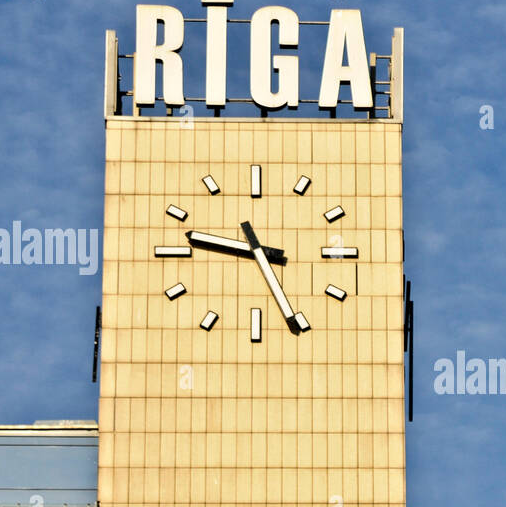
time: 10:47
